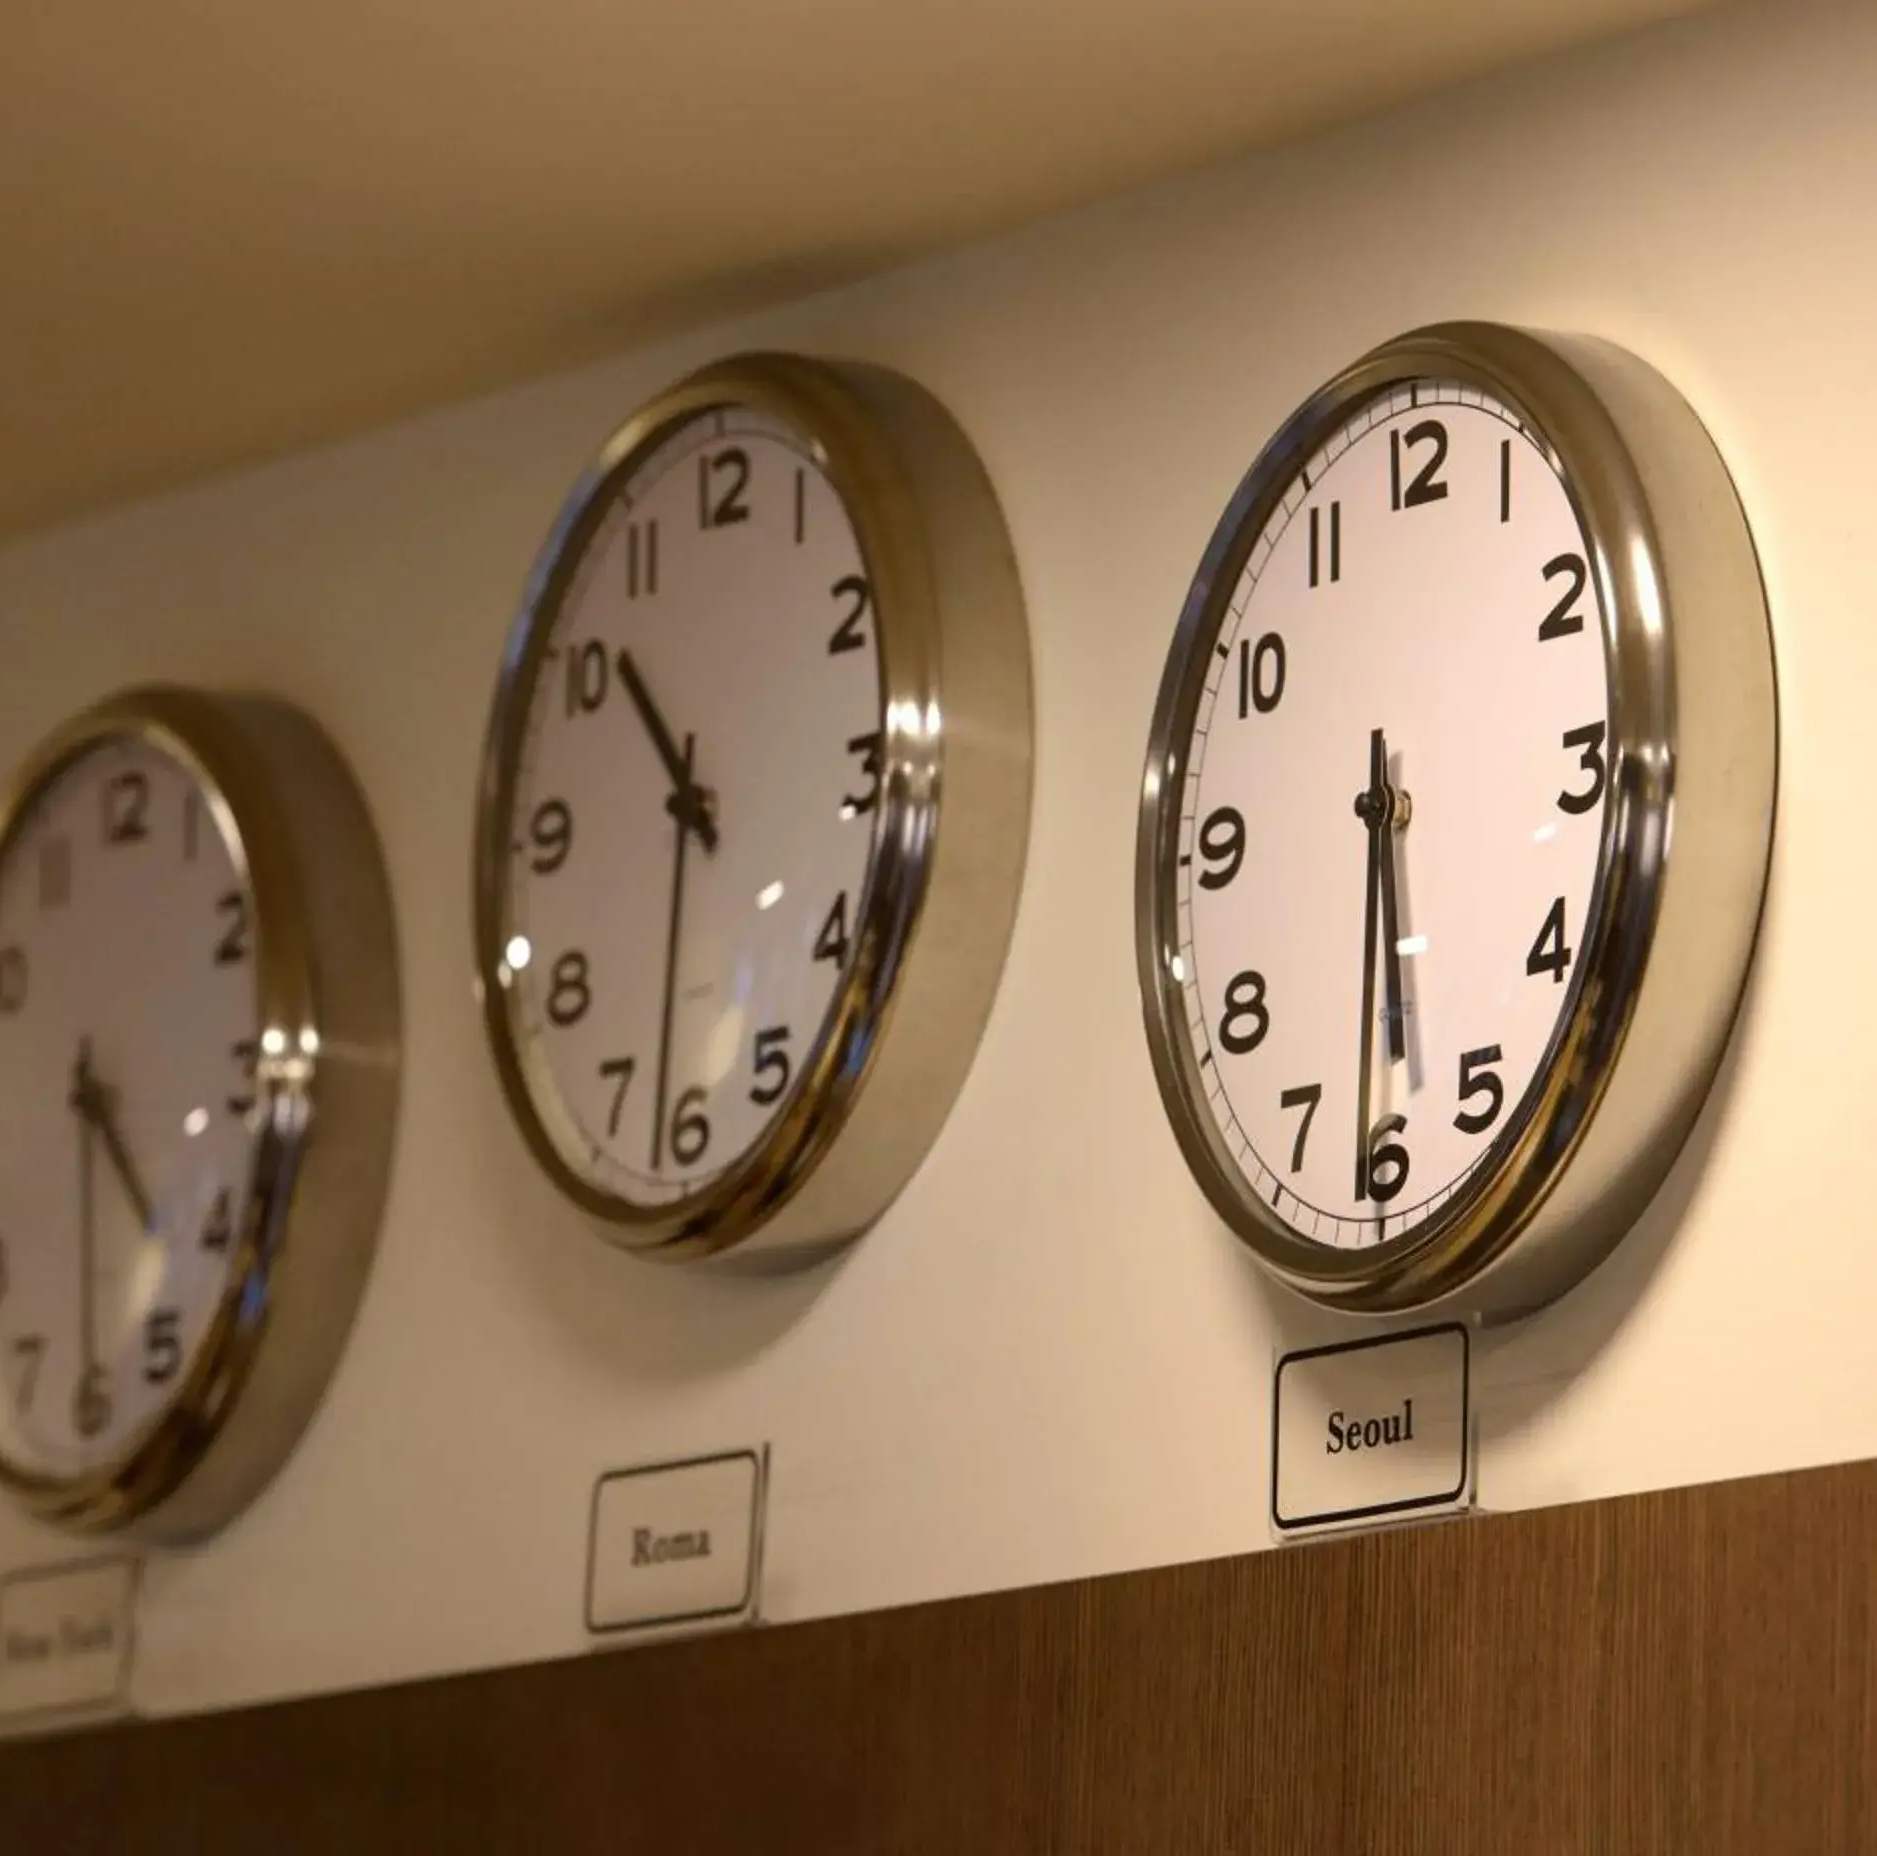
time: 5:30
